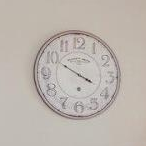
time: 3:50
